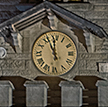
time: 11:56
